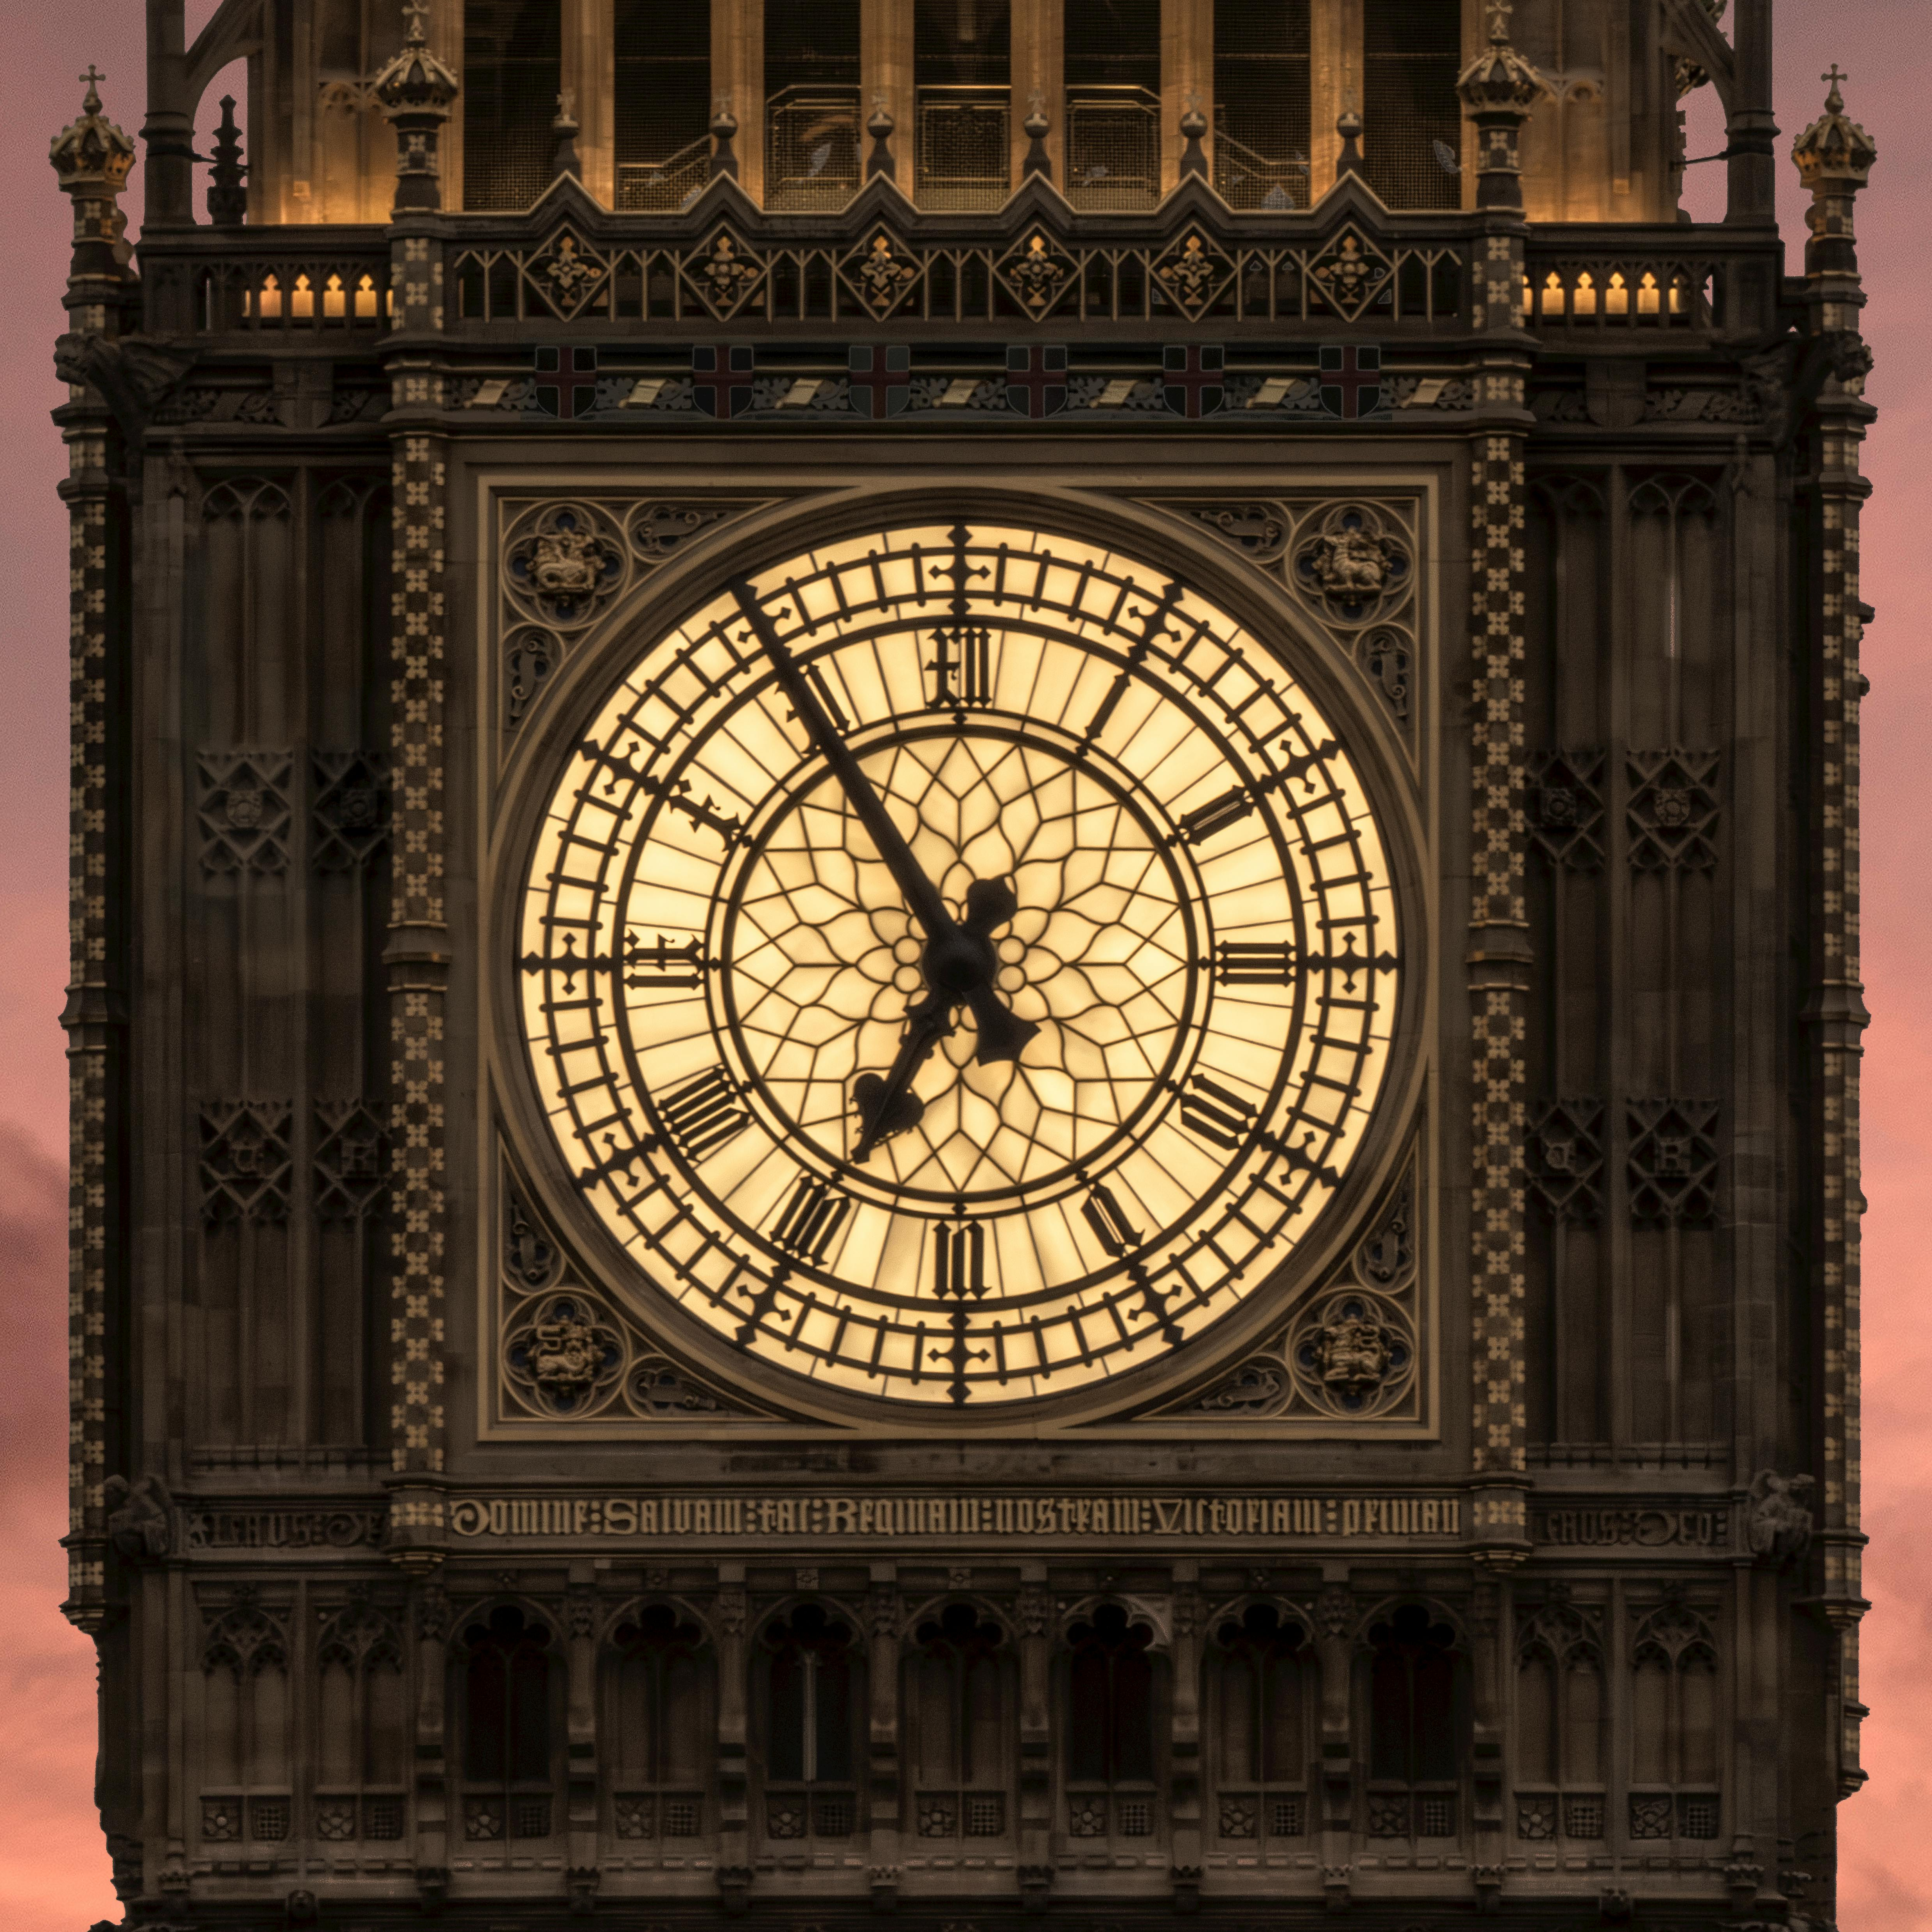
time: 6:54
